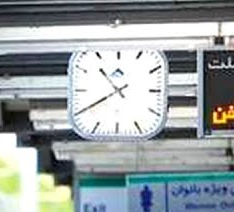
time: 10:39
